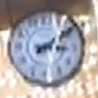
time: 3:09
